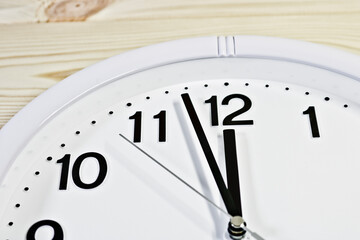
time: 11:57
